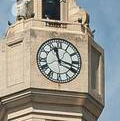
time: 11:17
